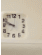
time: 9:48
